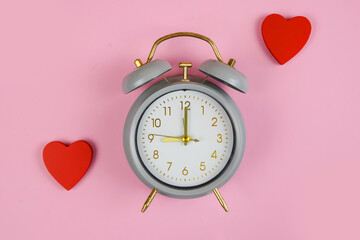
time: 9:00
